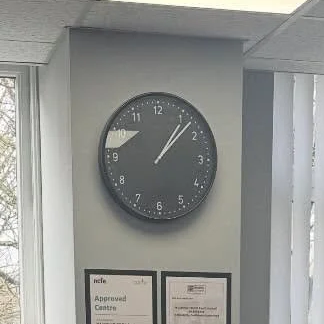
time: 1:07
